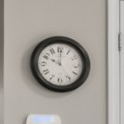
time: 10:00
